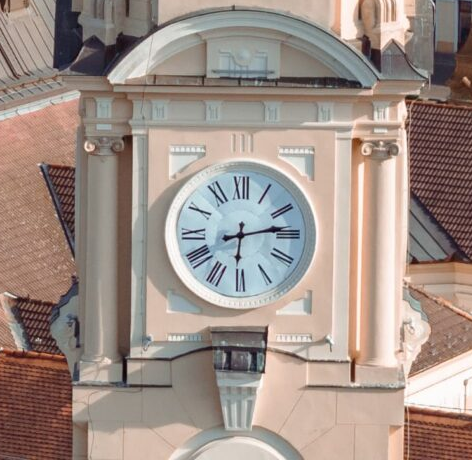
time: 6:13
